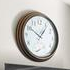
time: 10:06
